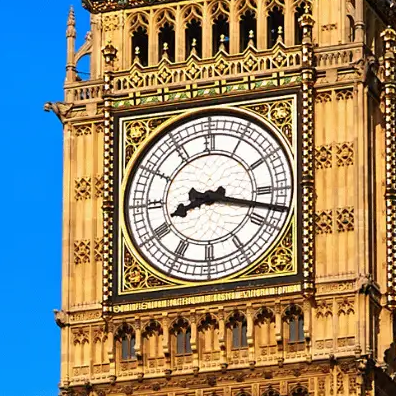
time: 8:17
